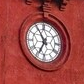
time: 6:54
